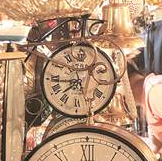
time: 7:43
